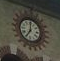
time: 7:00
